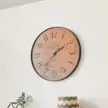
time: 1:36
